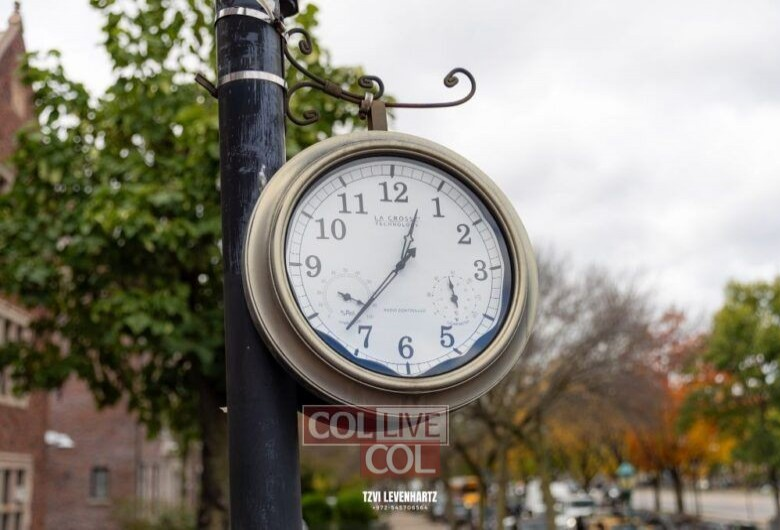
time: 12:37
